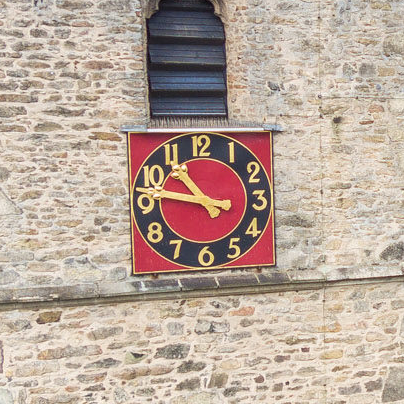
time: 10:47
